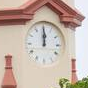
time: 11:59
